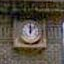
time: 12:07
